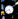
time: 4:42
